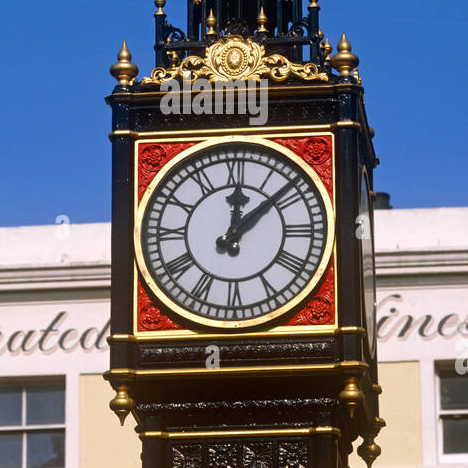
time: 12:08
